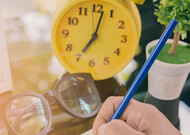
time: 7:02
